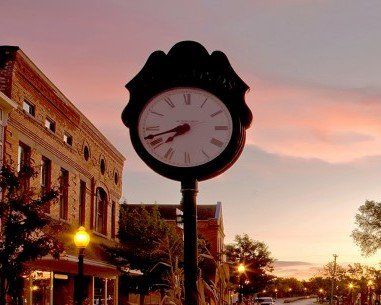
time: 7:42
